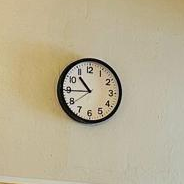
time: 10:44
